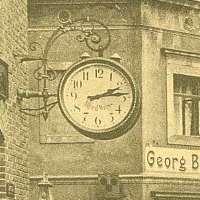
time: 2:13
